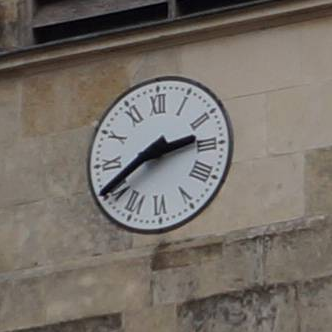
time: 2:40
